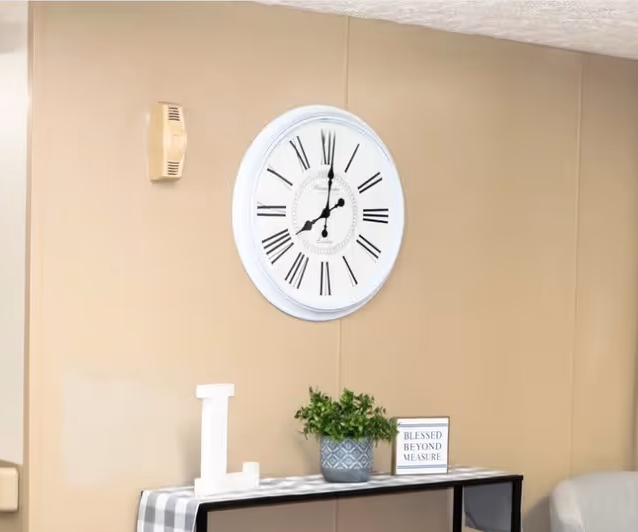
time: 8:01
